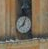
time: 8:03
